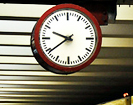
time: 9:39
